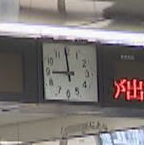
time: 8:59
